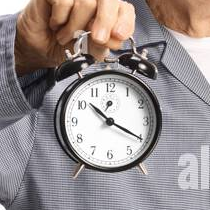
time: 10:20
